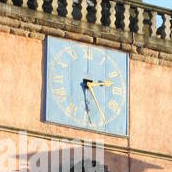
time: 2:29
